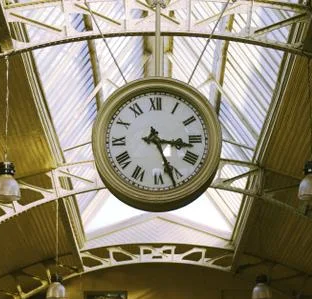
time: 3:26
